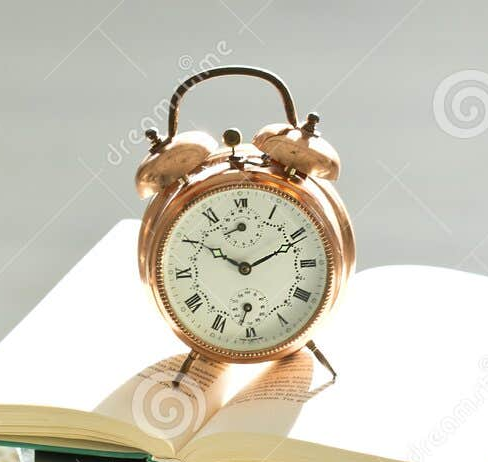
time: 10:10
